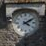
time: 4:09
